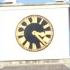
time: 3:22
